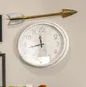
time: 11:42
